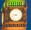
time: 9:42
